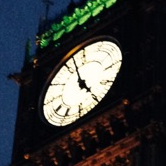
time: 4:57
